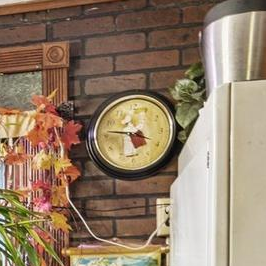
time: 3:46
